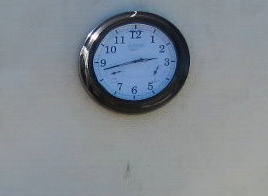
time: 2:42
